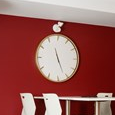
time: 11:26
